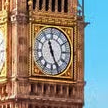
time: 11:25
